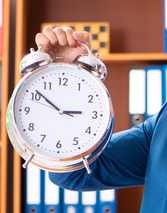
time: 2:51
